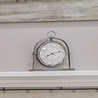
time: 8:12
